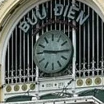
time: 9:15
